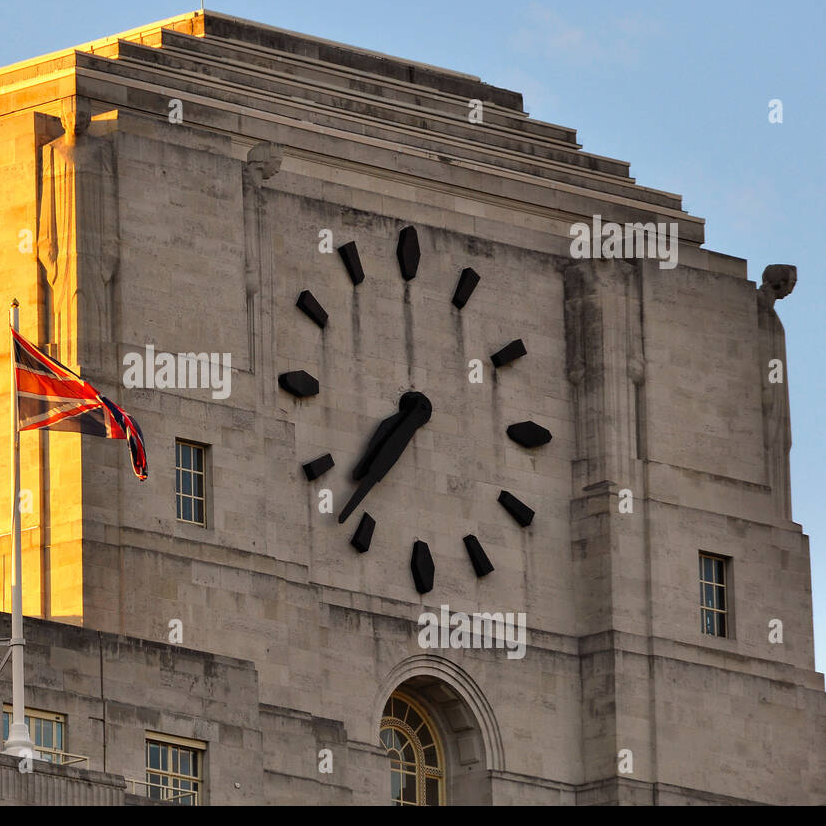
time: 7:37
